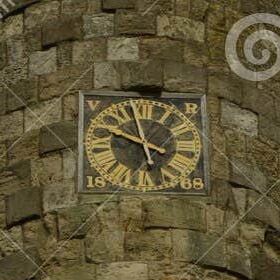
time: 9:57
